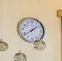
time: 1:39
